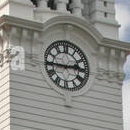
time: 2:44
